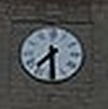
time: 7:29
